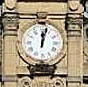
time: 12:02
